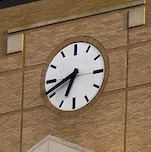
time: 6:41
